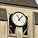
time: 11:07
